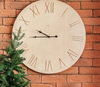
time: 9:44
